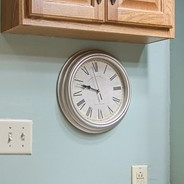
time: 9:48
